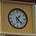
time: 1:22
